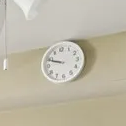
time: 9:48
